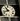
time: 10:42
